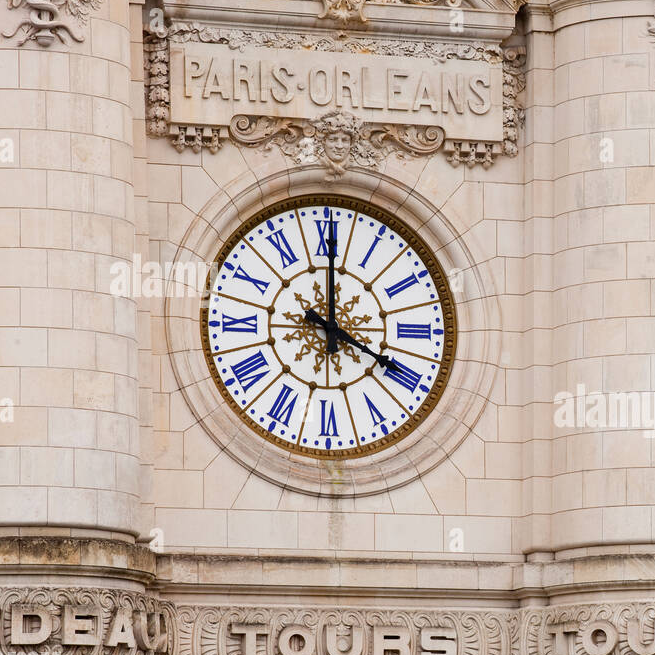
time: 4:00
